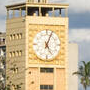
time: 5:03
